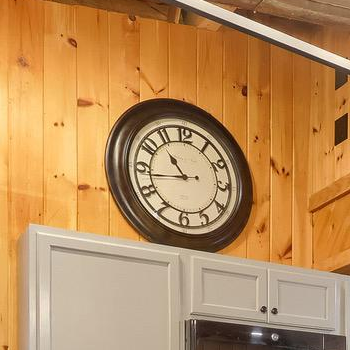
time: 10:43
